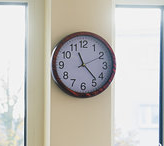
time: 11:23
